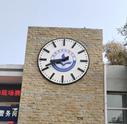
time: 8:41
